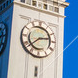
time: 2:38
